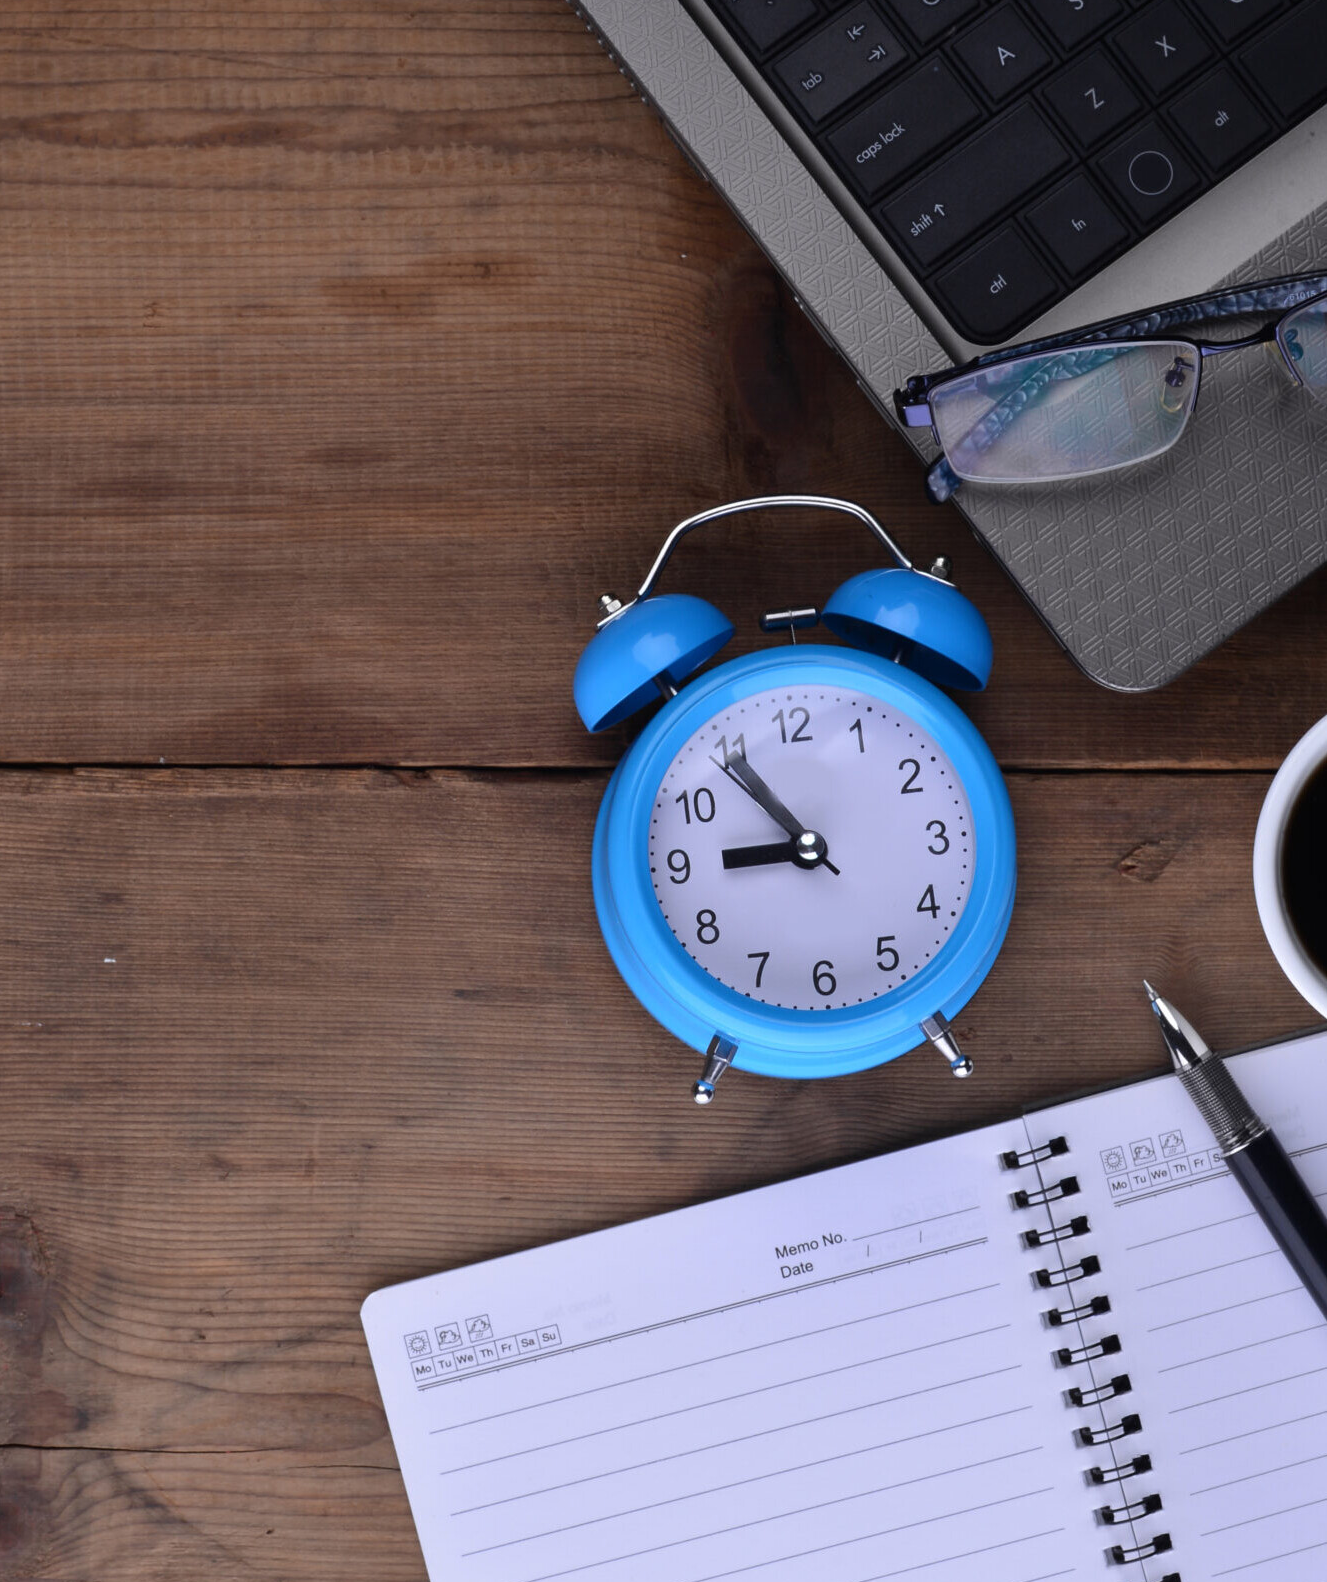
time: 8:54
